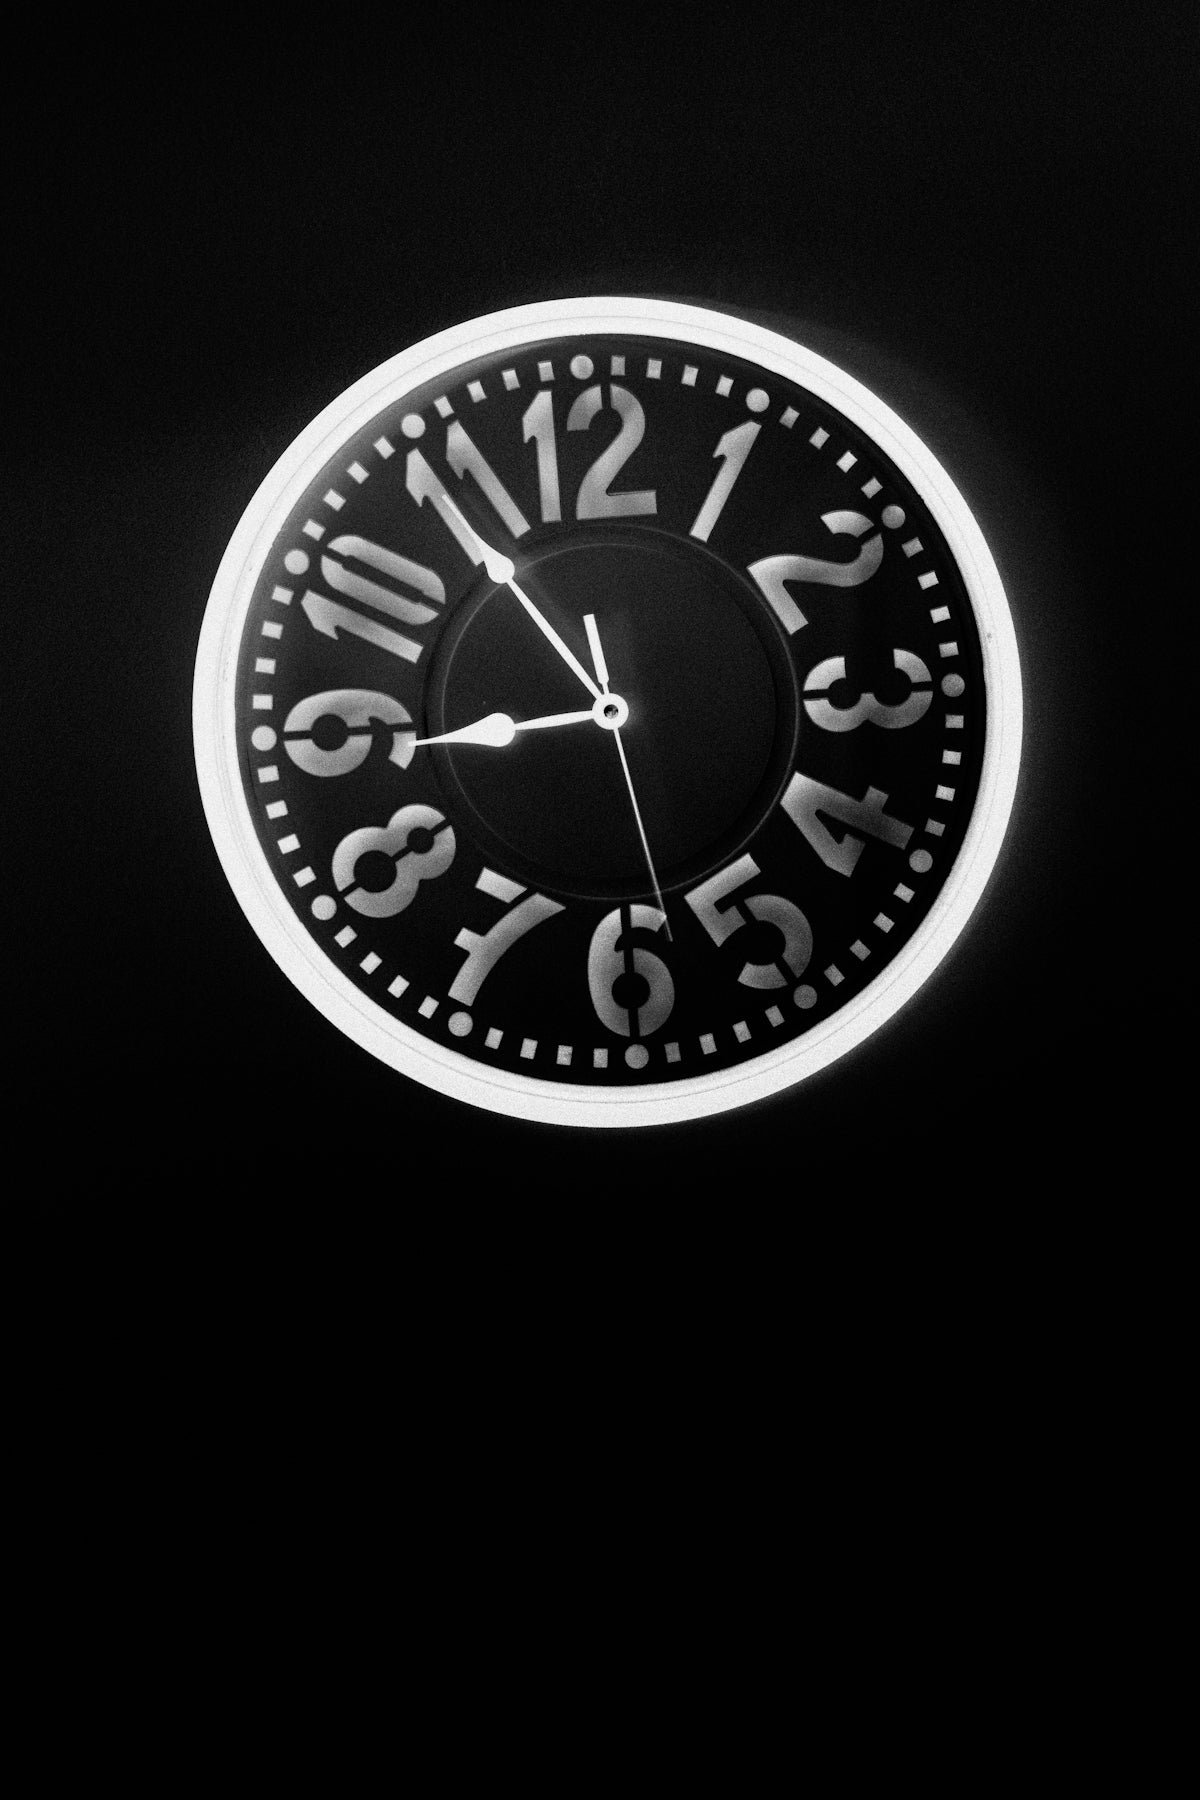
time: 8:54
